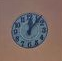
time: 12:06
